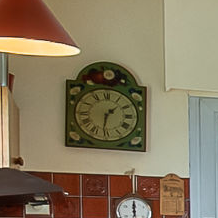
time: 1:31
